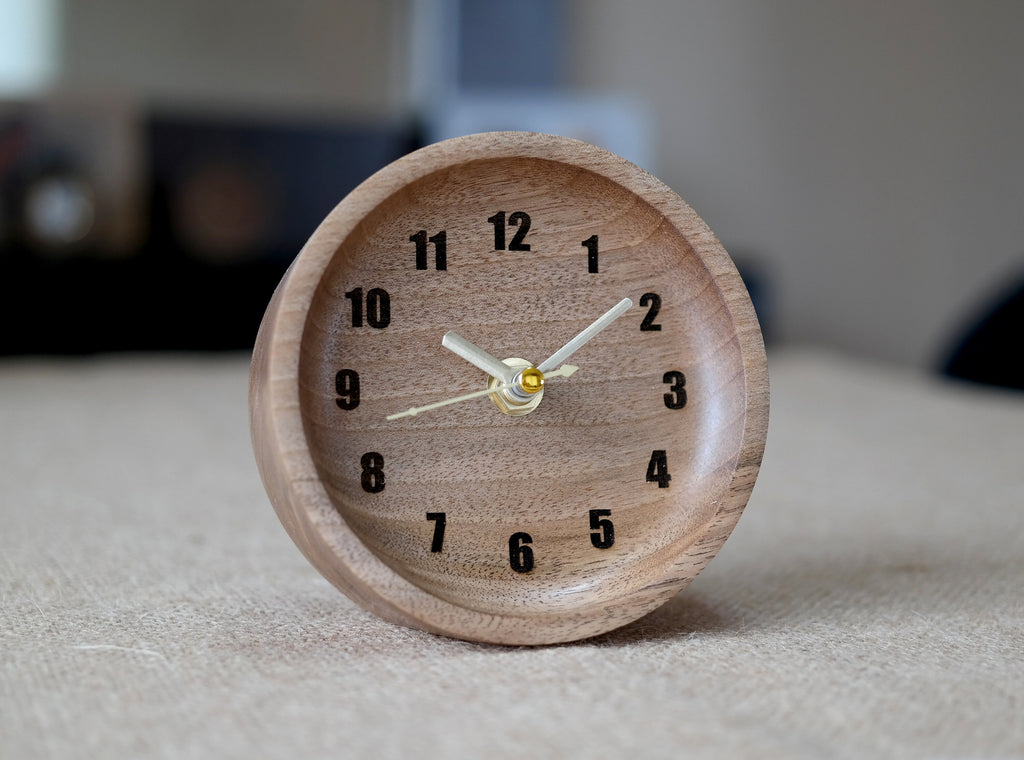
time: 10:08
